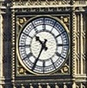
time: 10:34
